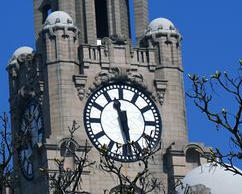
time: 11:28
